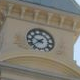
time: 9:38
